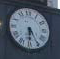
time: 5:30
